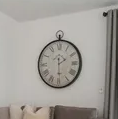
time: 2:29
